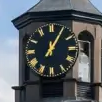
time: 12:05
